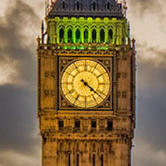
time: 4:21
